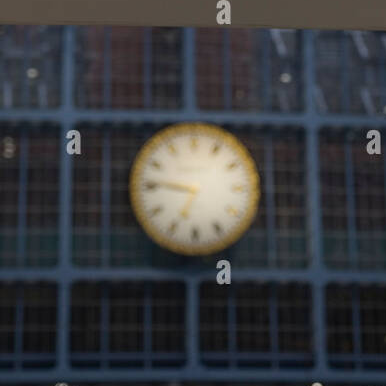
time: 6:46
